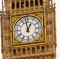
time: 12:58
